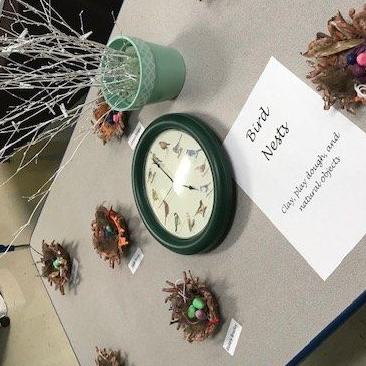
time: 2:49
